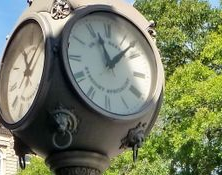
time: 11:07
